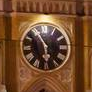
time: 5:55
